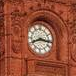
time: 8:16
